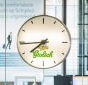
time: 7:44
